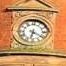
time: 6:20
